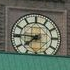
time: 7:45
